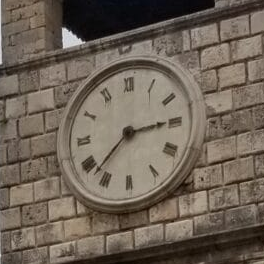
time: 2:37
